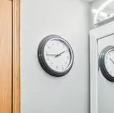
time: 1:43
